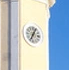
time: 7:04
